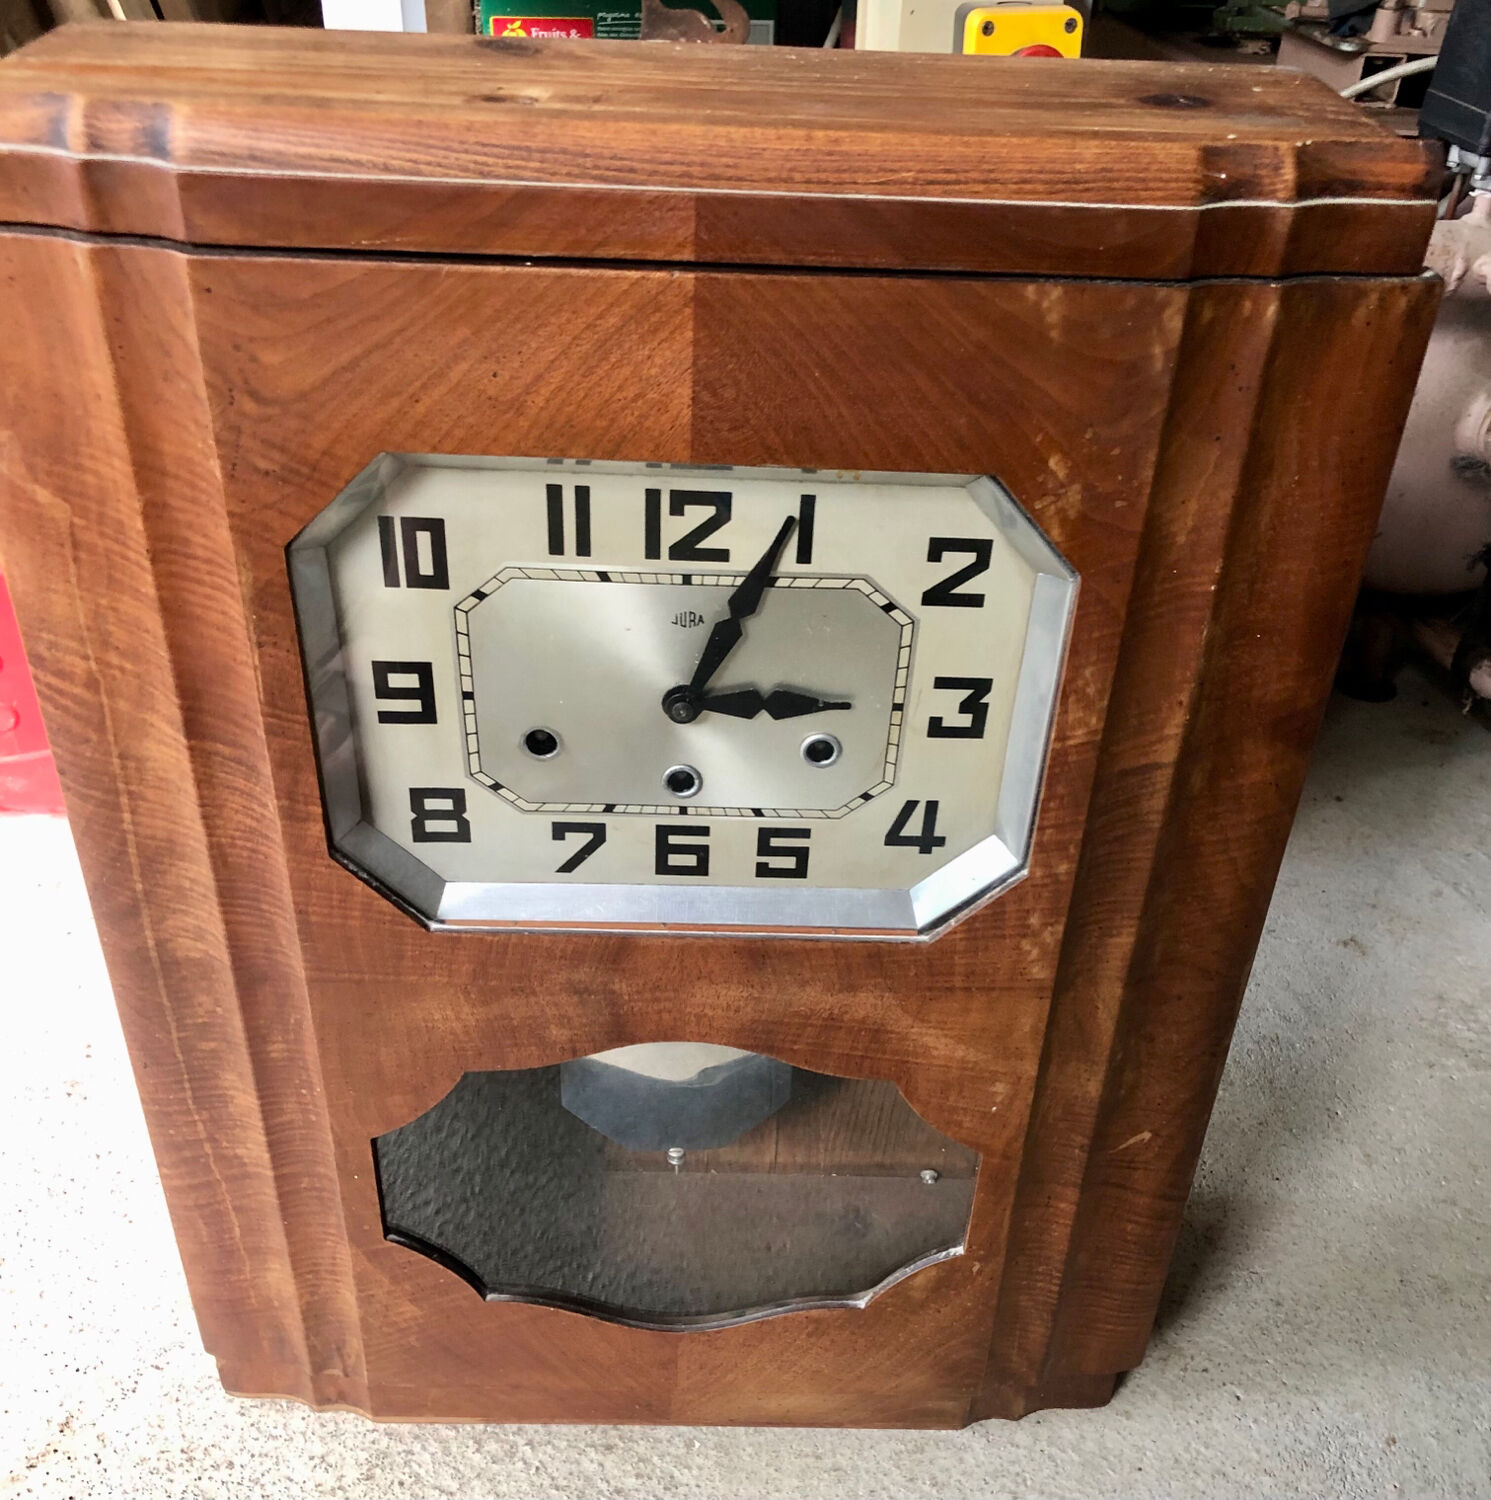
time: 3:04
